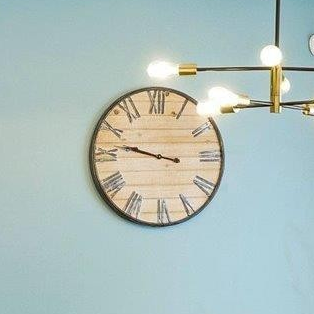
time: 9:47
